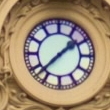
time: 1:37
